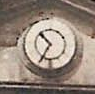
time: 10:34
